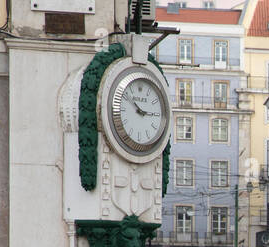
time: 10:15
